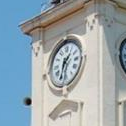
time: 1:32
